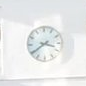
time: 3:39
